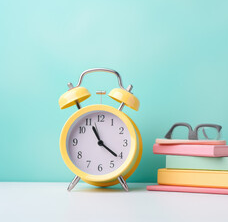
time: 11:21
